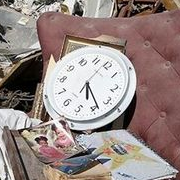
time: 5:23
